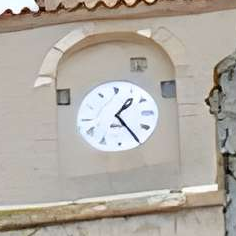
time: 1:24
